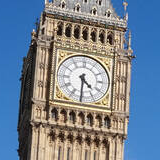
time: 4:30
